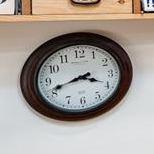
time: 3:41
